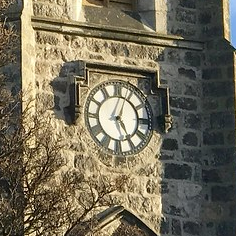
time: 5:03
